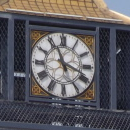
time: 11:18
